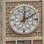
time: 12:10
